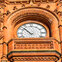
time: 4:52
